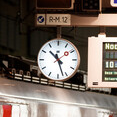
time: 10:27
